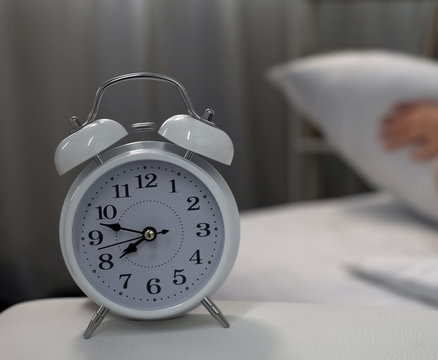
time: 7:47
